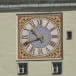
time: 10:41
